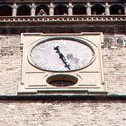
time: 11:26
